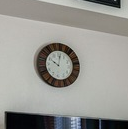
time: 10:00
